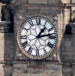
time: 1:12
